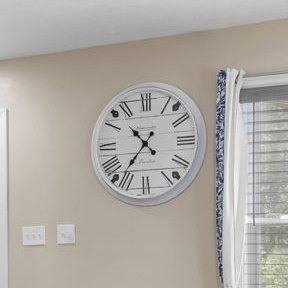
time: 10:36
